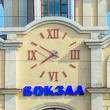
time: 7:50
